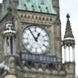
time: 12:54
